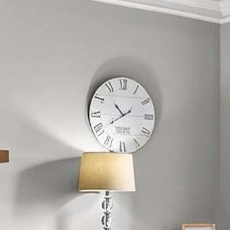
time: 10:39
